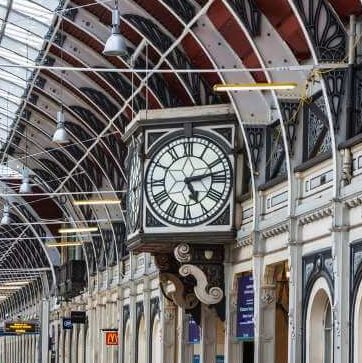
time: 5:12
